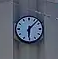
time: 6:07
